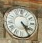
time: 4:24
